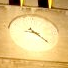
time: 4:21
